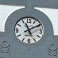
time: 11:09
